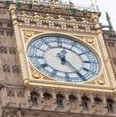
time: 12:24
